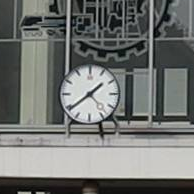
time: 1:38
